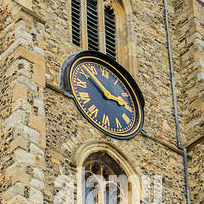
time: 2:52
